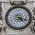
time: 4:17
